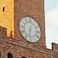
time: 6:32
